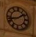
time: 1:42
